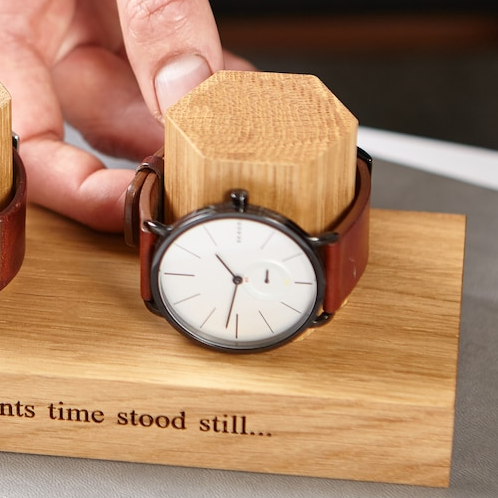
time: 10:31
